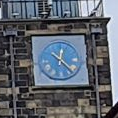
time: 12:22
